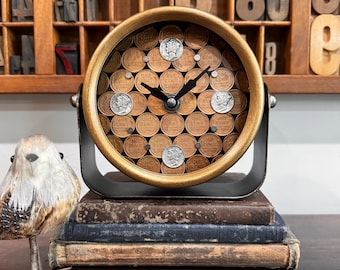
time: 10:07
